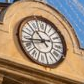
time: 10:42
